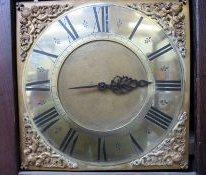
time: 2:44
